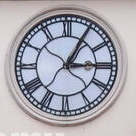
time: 3:04
